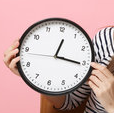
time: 12:15
